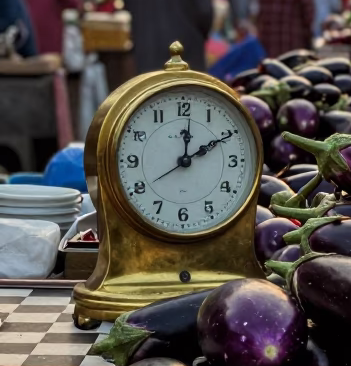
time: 12:09
